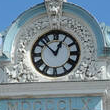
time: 12:52
